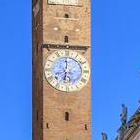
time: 5:59
